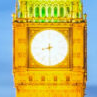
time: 8:30
